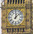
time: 12:07
